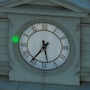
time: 5:36
